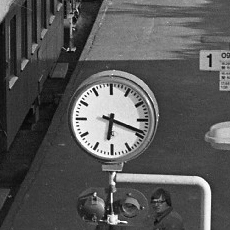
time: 6:18
